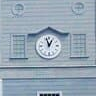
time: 12:57
